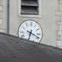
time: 6:18
